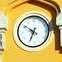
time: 6:50
